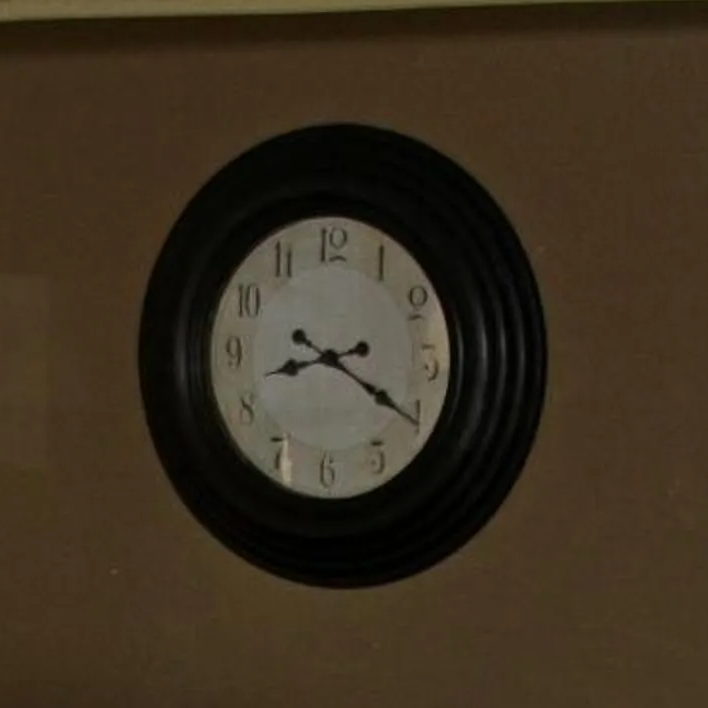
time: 8:20
